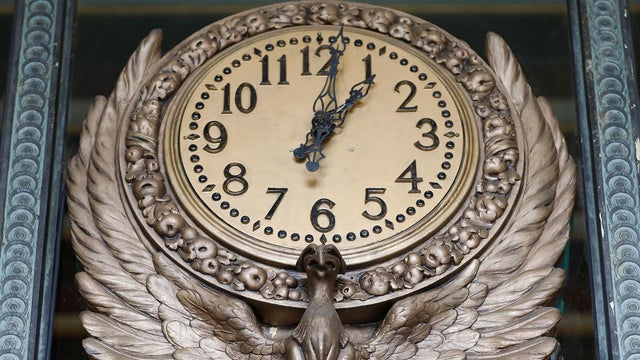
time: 1:01
